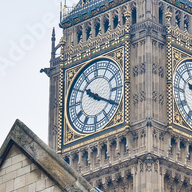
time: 10:20
